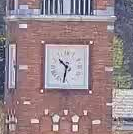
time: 10:32
